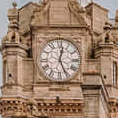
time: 12:25
